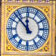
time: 11:52
